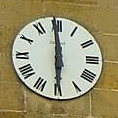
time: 5:59
